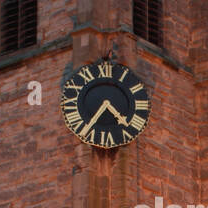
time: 4:36
